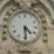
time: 4:29
